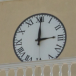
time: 3:00
